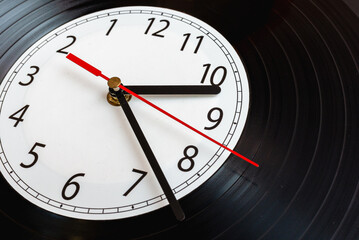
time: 2:23
